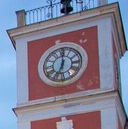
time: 7:00
